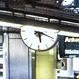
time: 5:18
